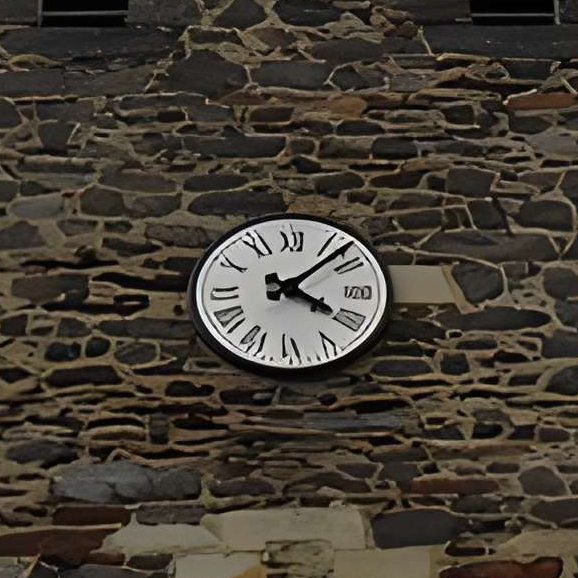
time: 4:07
